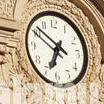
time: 6:50
